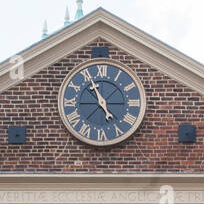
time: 4:55
